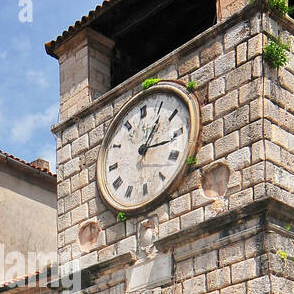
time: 1:16
